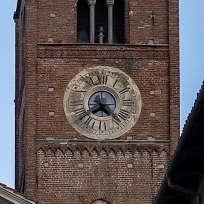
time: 4:38
